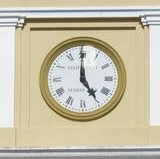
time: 4:59
